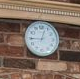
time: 12:44
